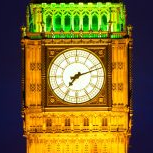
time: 7:11
